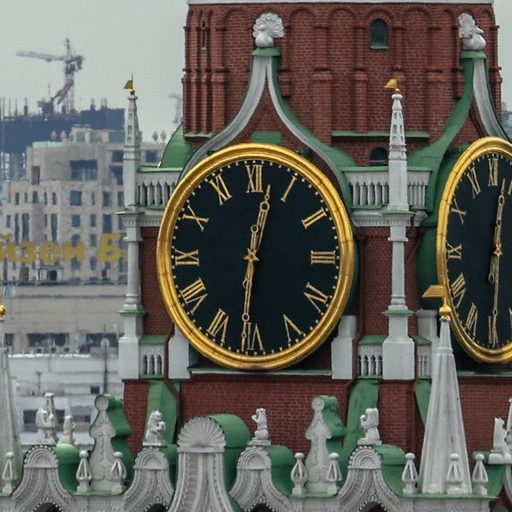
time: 12:31
